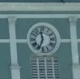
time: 11:33
